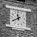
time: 11:40
